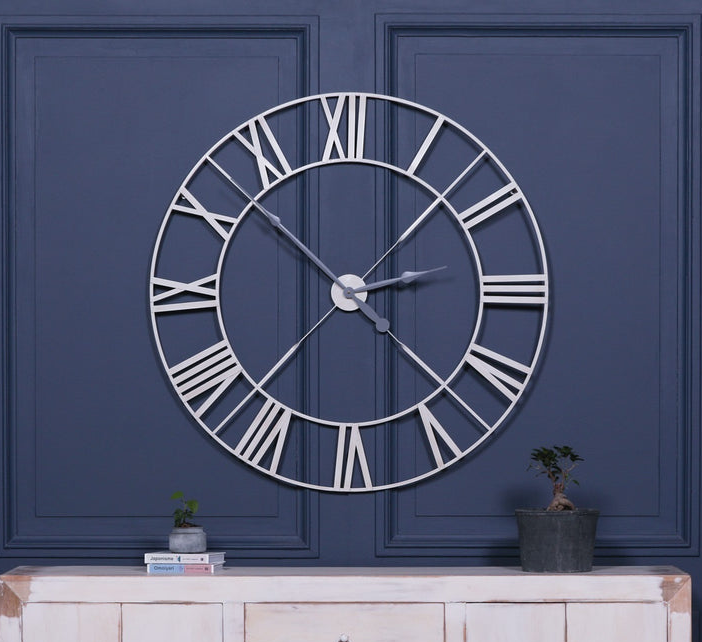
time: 2:52
